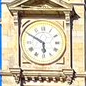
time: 5:49
